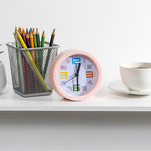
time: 12:29
